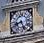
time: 8:26
